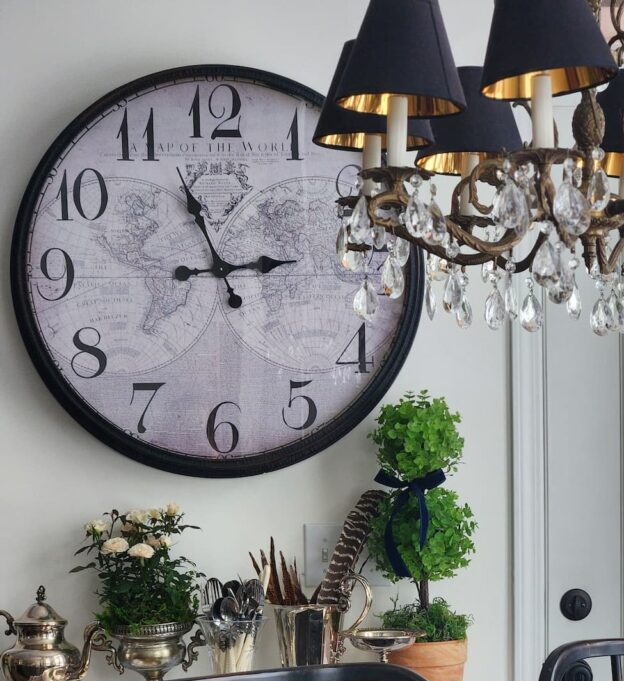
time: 2:56
